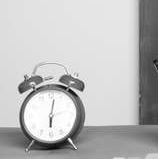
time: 6:02
